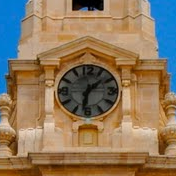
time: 1:32
